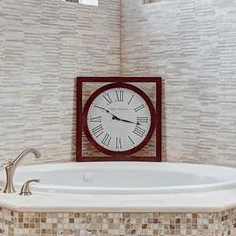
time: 10:16
